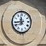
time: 11:43
